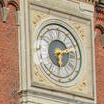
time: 6:12
